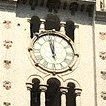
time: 11:57
